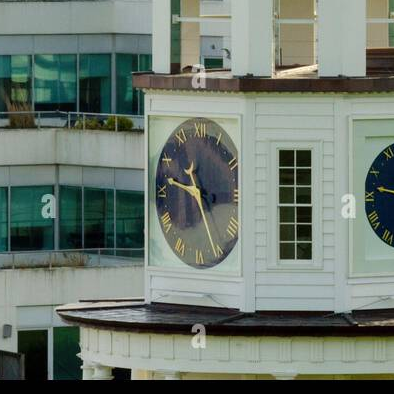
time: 10:47
